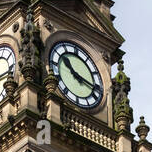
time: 10:17
